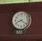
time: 8:21
